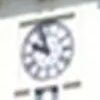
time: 9:57
